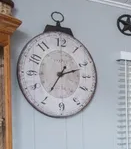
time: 2:35
